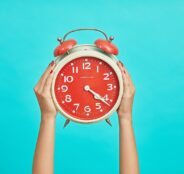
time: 4:21
